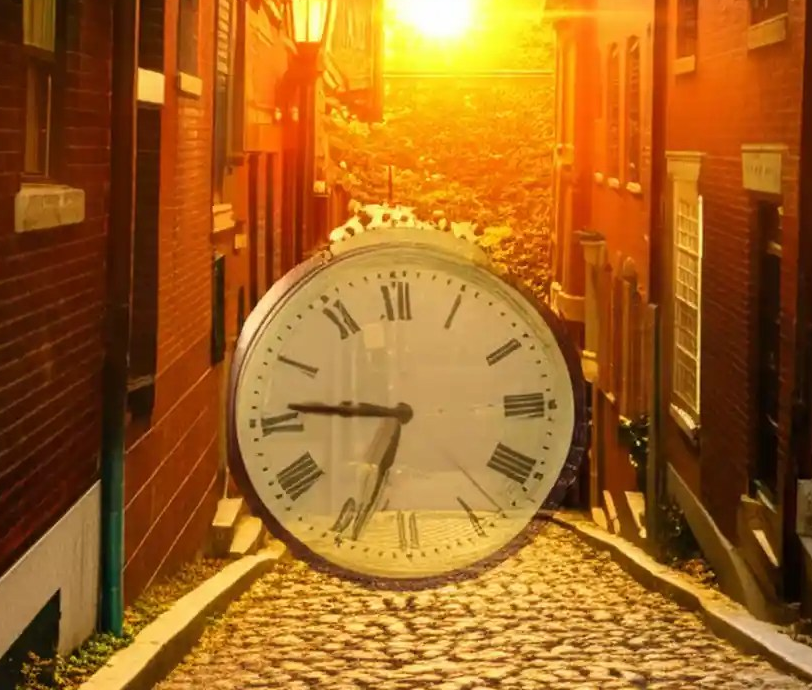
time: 6:46
